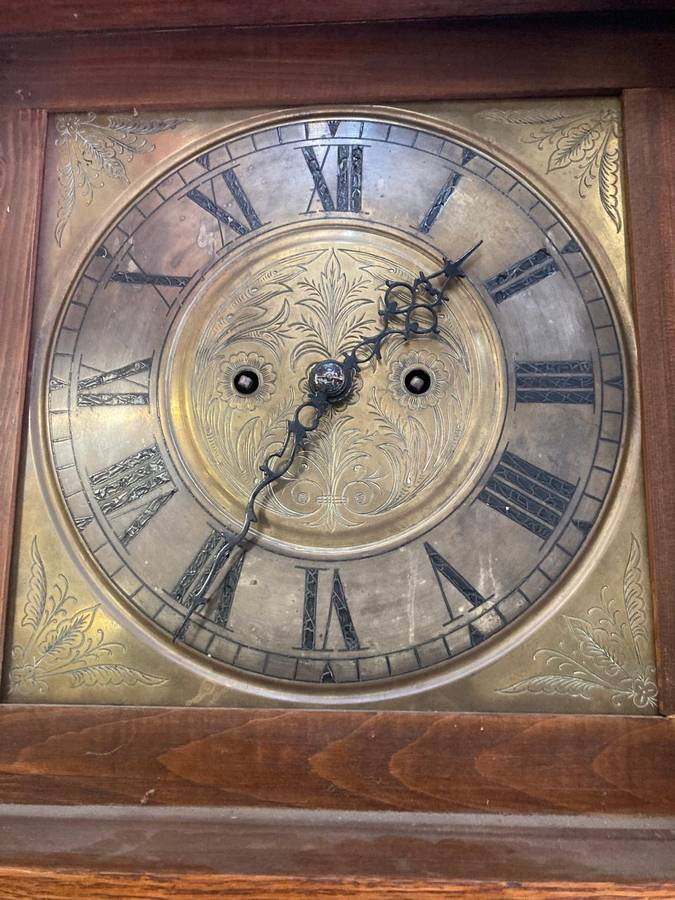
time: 1:34
